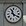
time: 11:19
